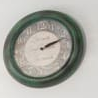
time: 2:11
